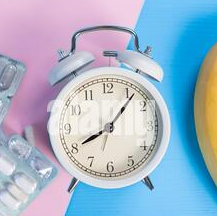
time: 8:06
